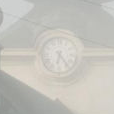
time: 6:23
